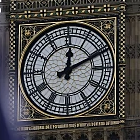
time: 12:10
